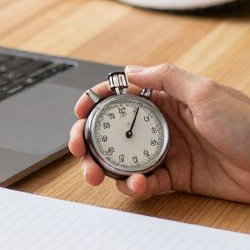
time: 1:05
